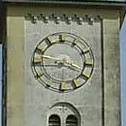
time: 3:43
